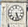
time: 5:26
